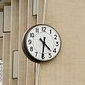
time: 4:30
